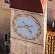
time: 4:42
